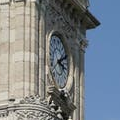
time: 2:18
